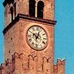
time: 10:02
